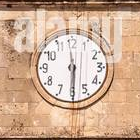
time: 5:59
